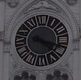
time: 4:17
